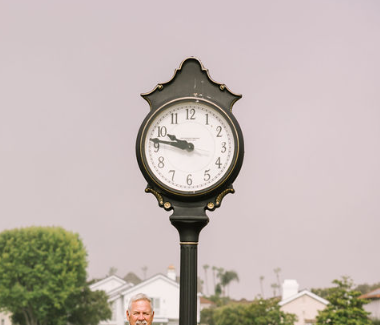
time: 9:46
